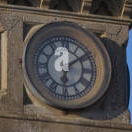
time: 6:08
